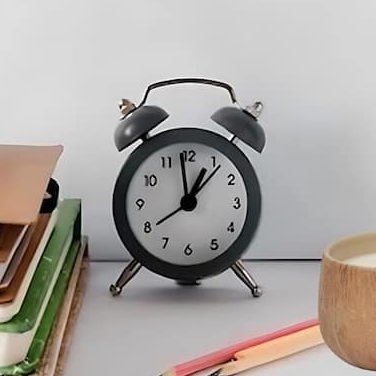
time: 12:58
